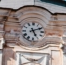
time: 5:11
